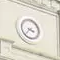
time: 3:36
